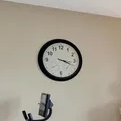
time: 3:18
